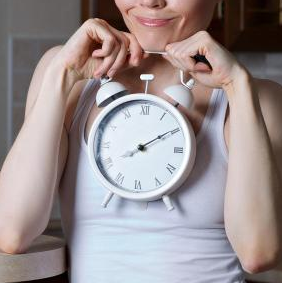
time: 8:09
